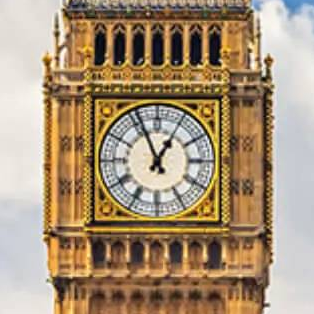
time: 12:56
